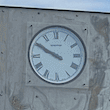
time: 9:50
